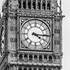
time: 4:15
